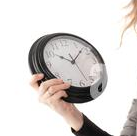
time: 10:07
